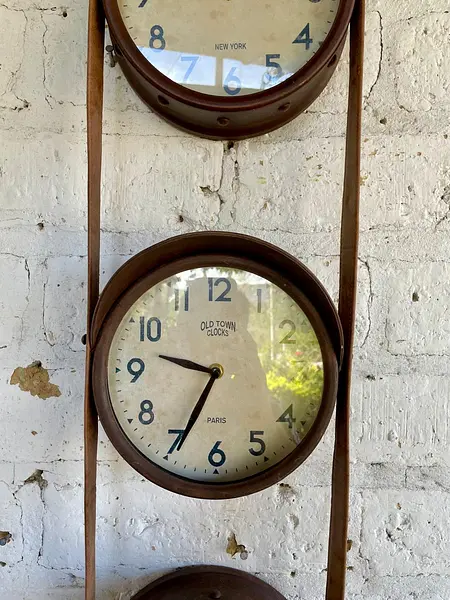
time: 9:34
